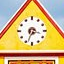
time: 3:33
